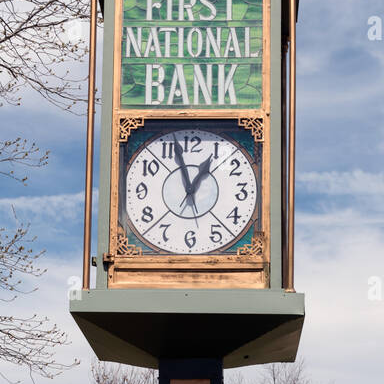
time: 12:57
